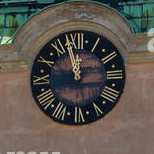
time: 11:57
